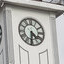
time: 4:31
